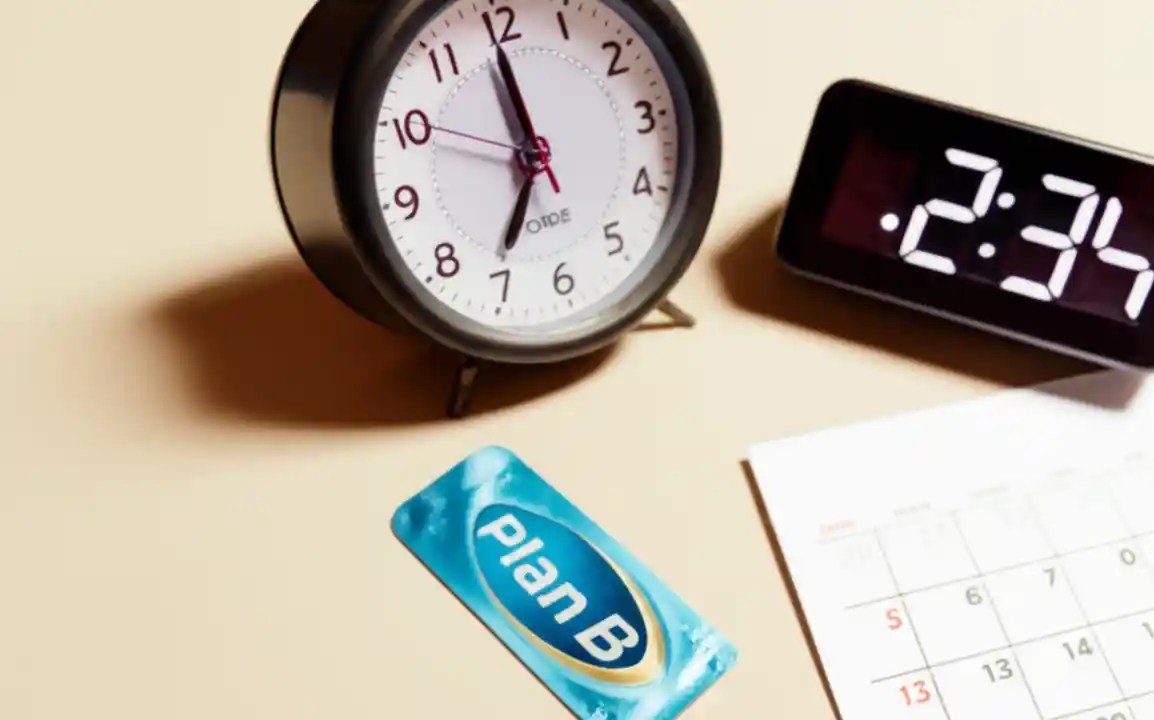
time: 6:59
